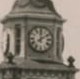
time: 12:09
